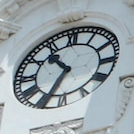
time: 10:34
